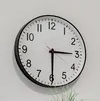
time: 3:29
